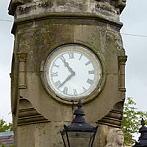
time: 10:38
